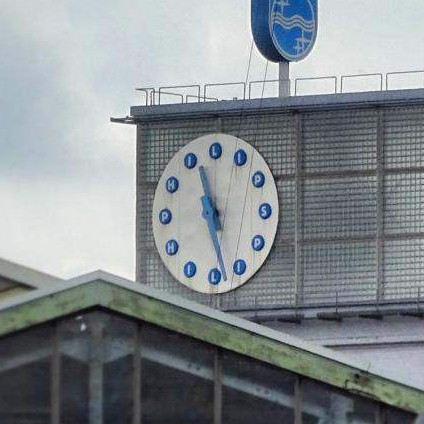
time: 11:28
